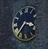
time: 3:36
